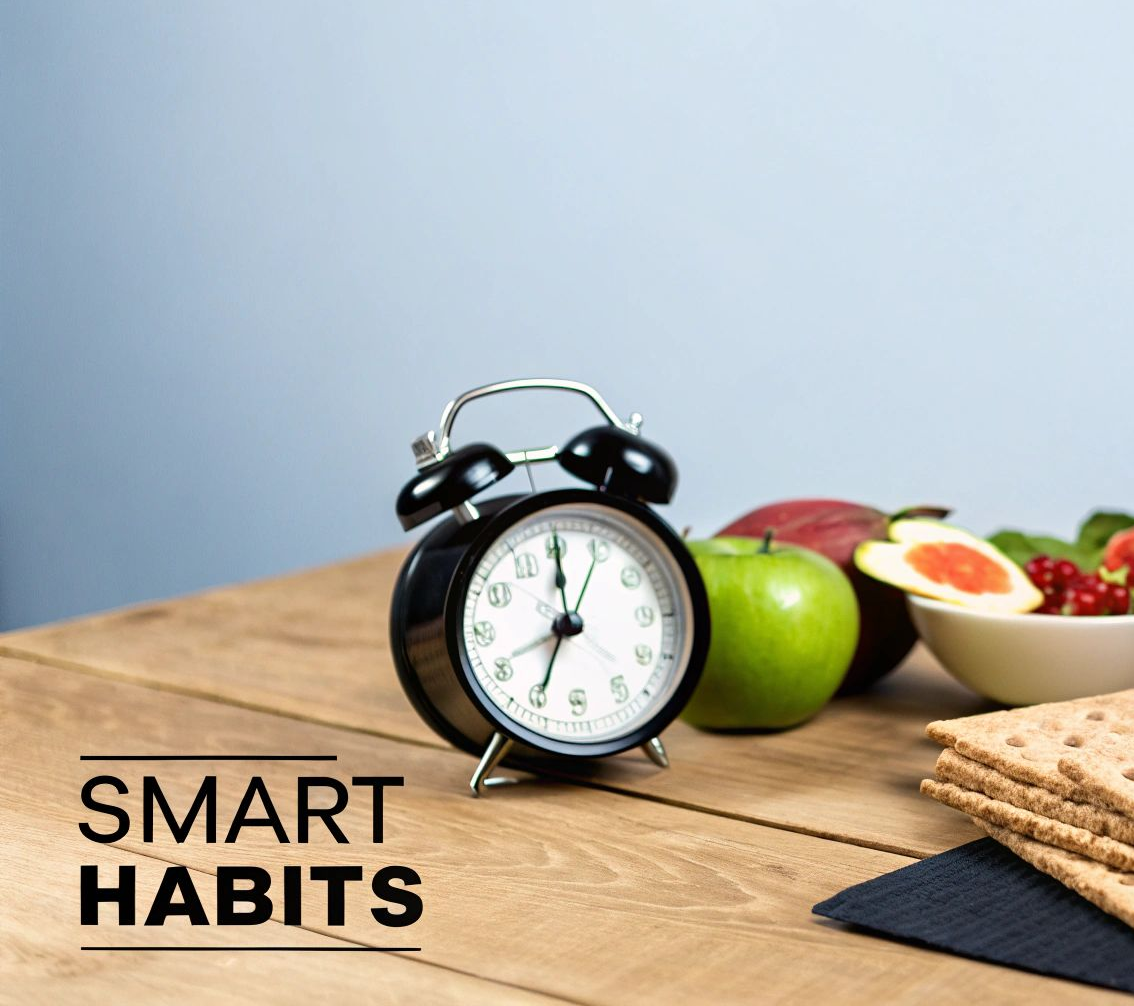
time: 7:00
